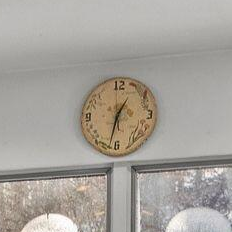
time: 1:32
